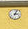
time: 3:04
